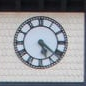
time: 5:21
